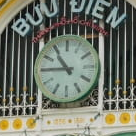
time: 10:45
